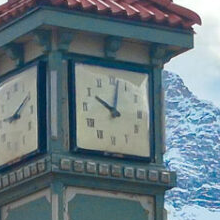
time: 10:01
